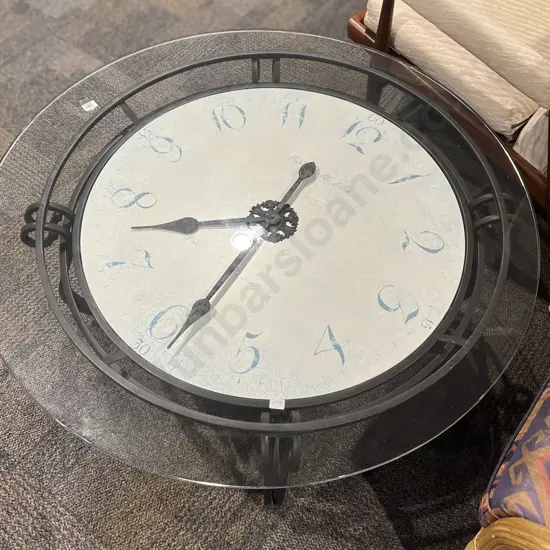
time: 8:34
